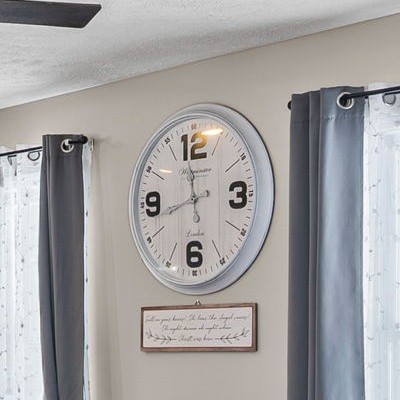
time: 11:42
